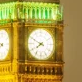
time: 7:49
